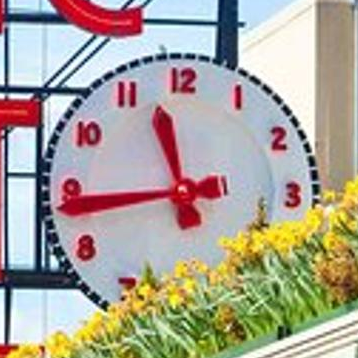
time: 11:43
